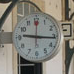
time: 9:15
